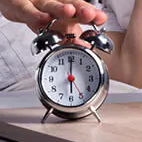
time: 6:00
